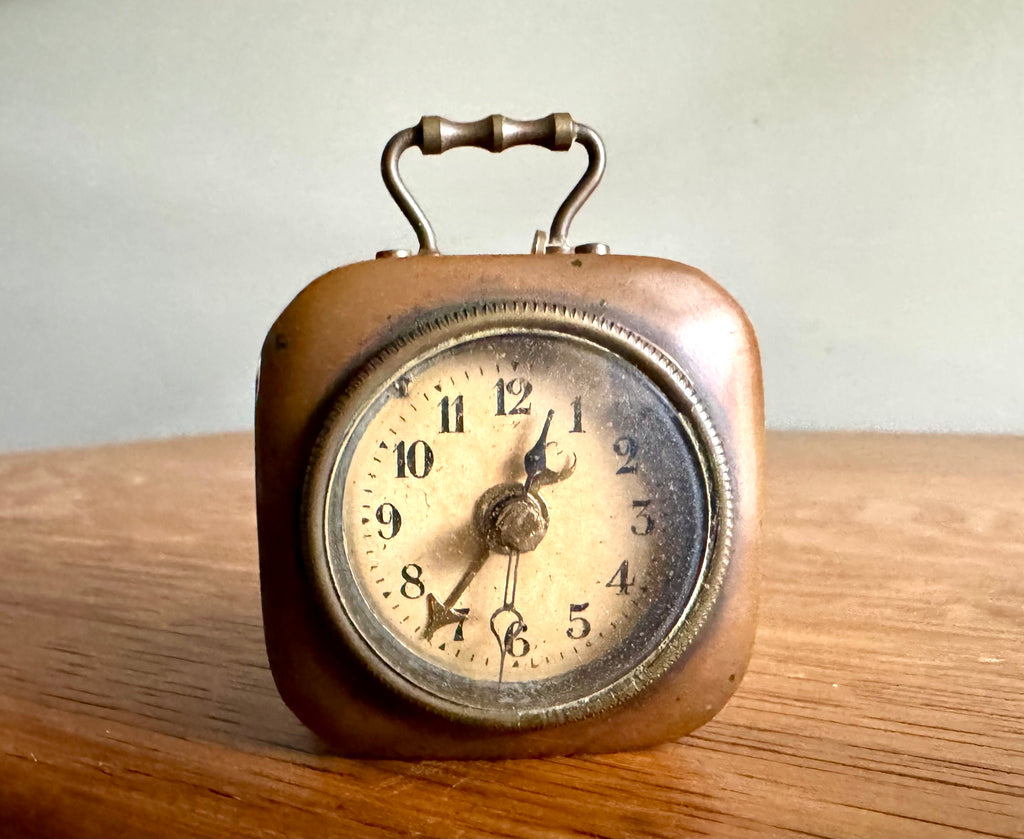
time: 12:35
